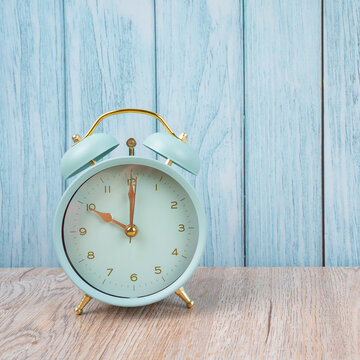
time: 10:00
